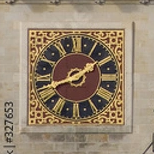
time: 1:42
